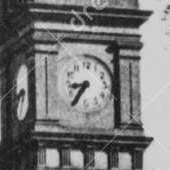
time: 8:35
